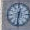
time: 12:31
